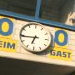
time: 6:44
